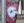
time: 7:12
